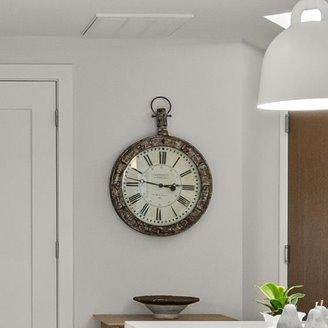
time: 2:46
